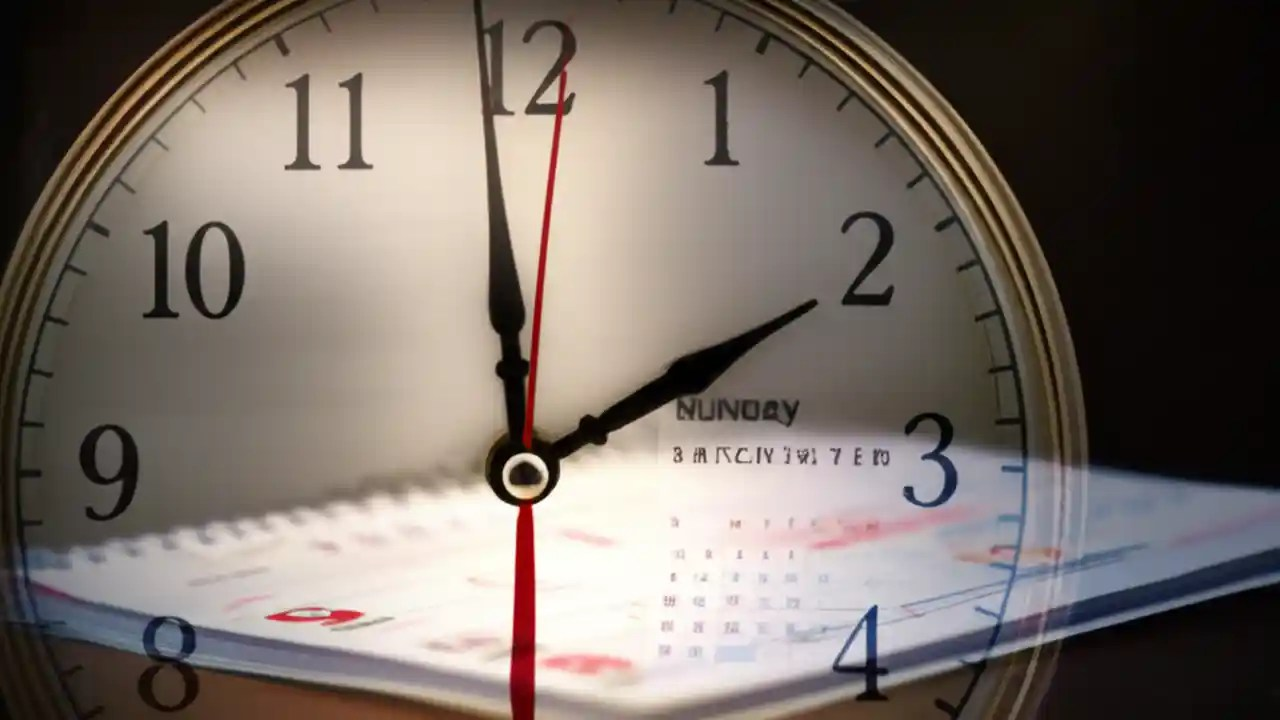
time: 1:59
